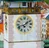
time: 1:42
